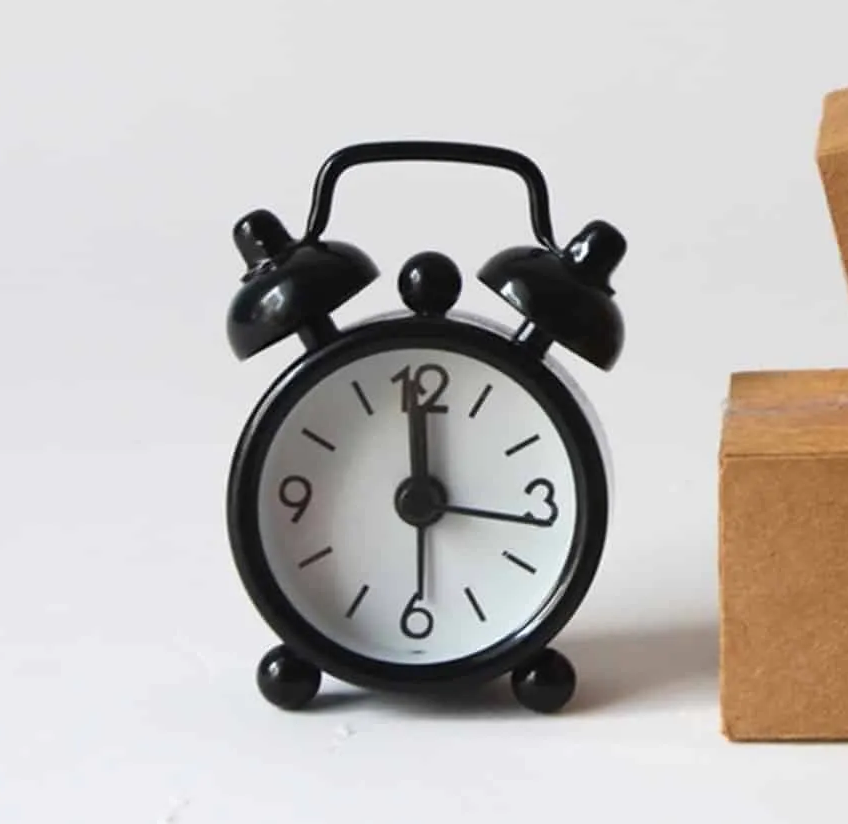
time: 11:59
